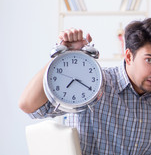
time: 7:20
